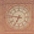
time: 6:46
